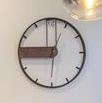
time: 9:01
